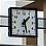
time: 1:27
